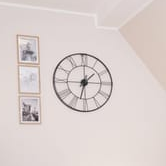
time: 1:32
